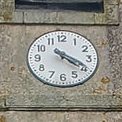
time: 4:19
